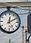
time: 12:09
